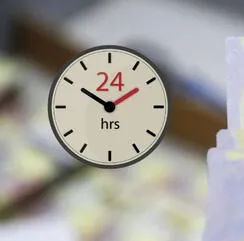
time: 1:50
